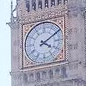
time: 4:09
